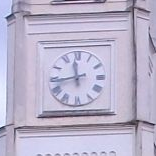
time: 11:43
